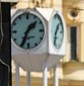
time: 1:34
